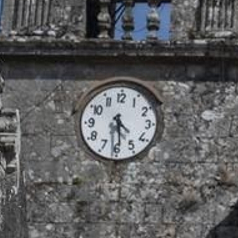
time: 4:29
